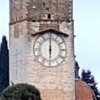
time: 6:00
